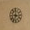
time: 7:00
